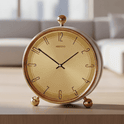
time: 1:50
